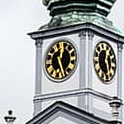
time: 12:25
